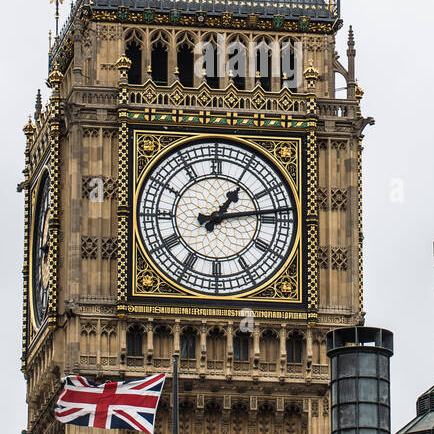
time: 1:13
